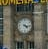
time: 4:16
